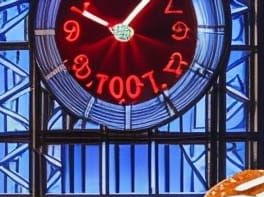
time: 10:07
